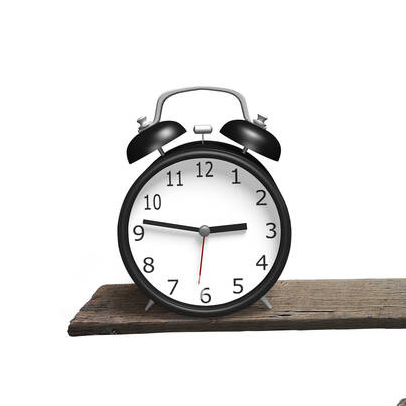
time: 2:46
